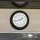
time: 1:42
